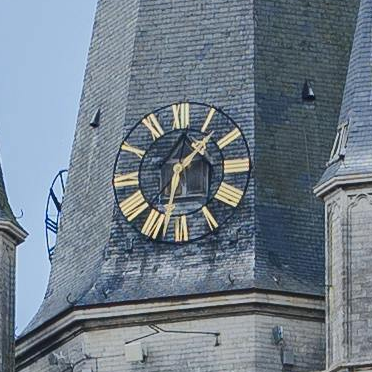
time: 1:32
